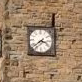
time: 3:38
